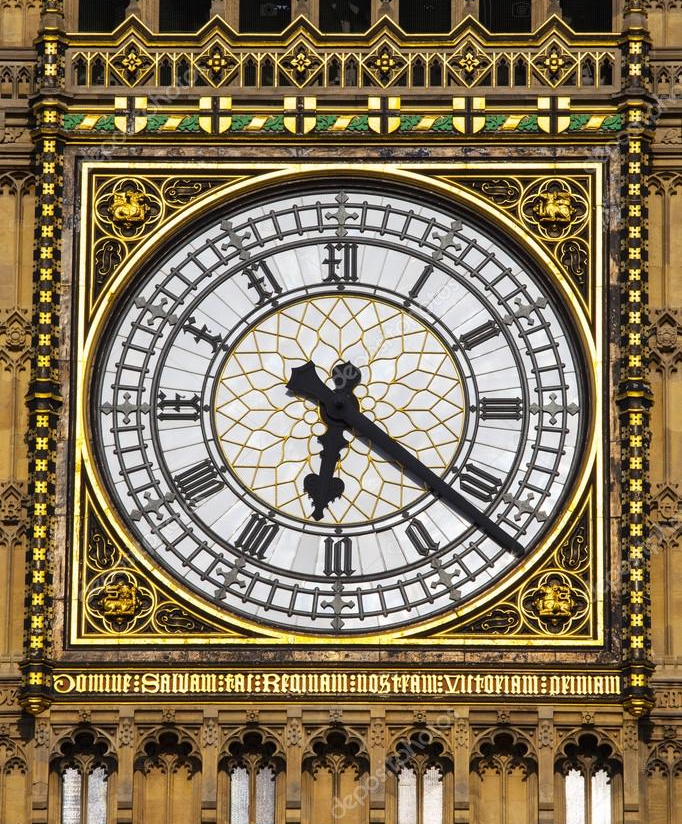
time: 6:21
